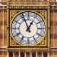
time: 12:56
